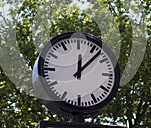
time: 12:07
